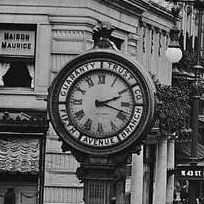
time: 2:18
